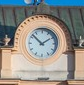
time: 1:52
